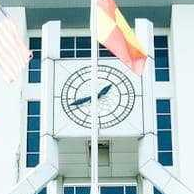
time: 1:42
